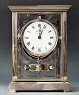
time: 12:04
